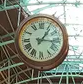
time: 1:16
